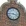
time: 3:45
